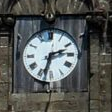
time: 2:33
